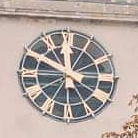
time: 11:49
